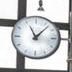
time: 11:07
